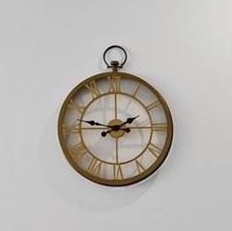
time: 1:46
